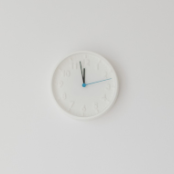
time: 11:58
